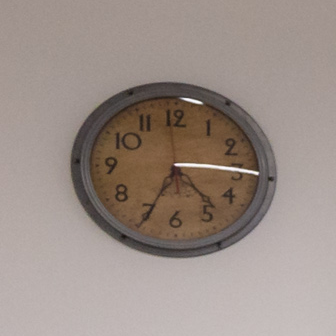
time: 4:34
